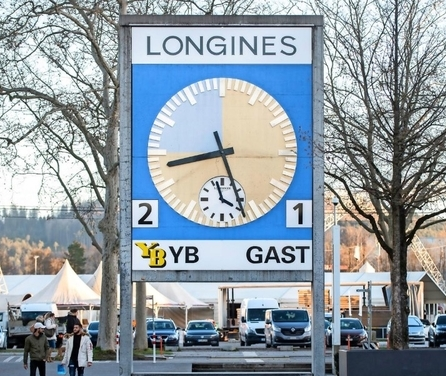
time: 8:26
